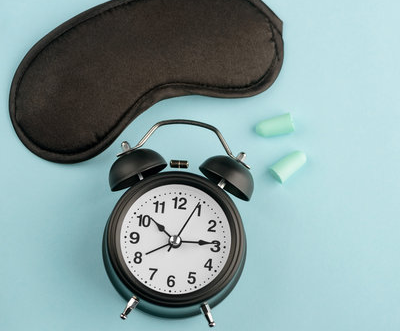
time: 10:14
